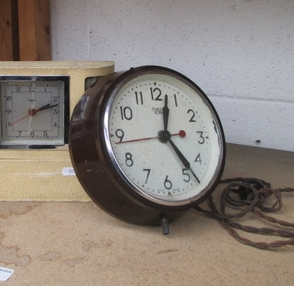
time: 12:23
